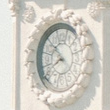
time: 7:51
